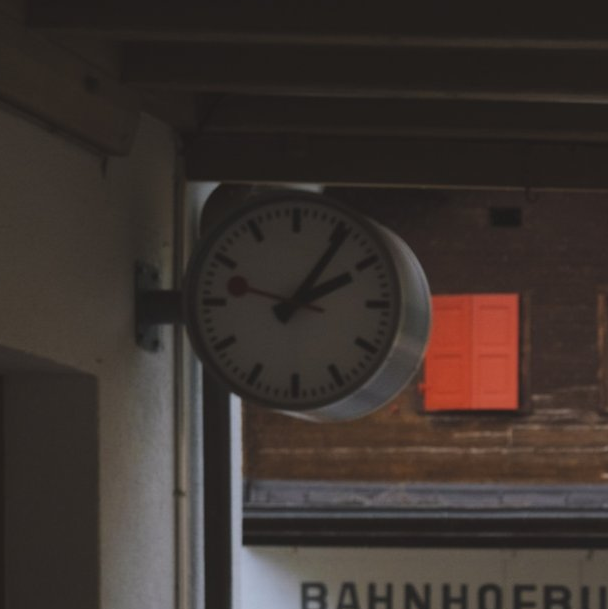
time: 2:05
